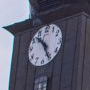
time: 10:26
